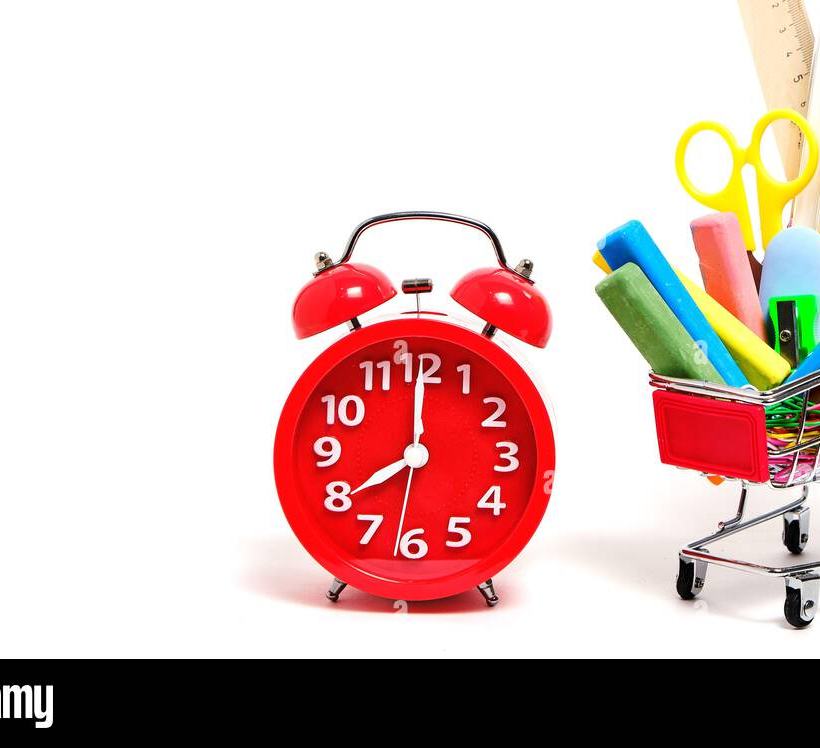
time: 8:00
